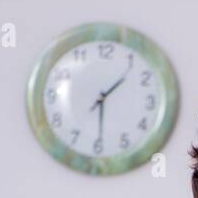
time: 1:29
